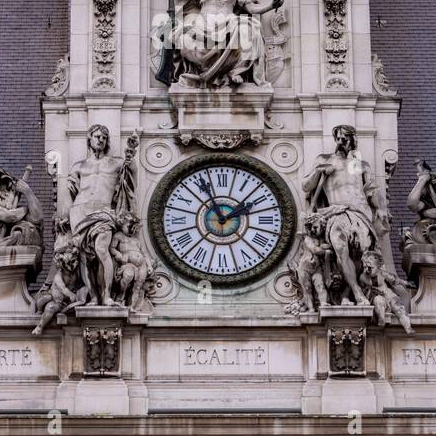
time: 1:56
